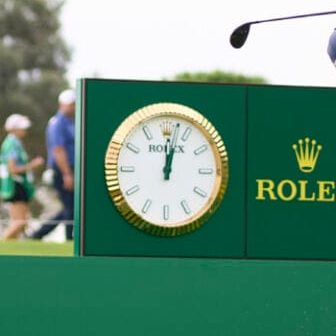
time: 12:02
